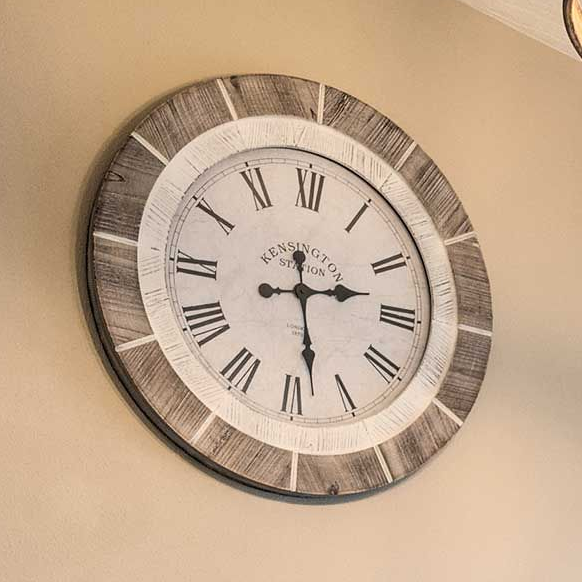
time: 2:28
